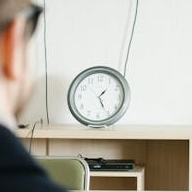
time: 1:25
